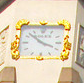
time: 3:52
